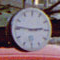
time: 2:46
